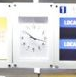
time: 10:17
